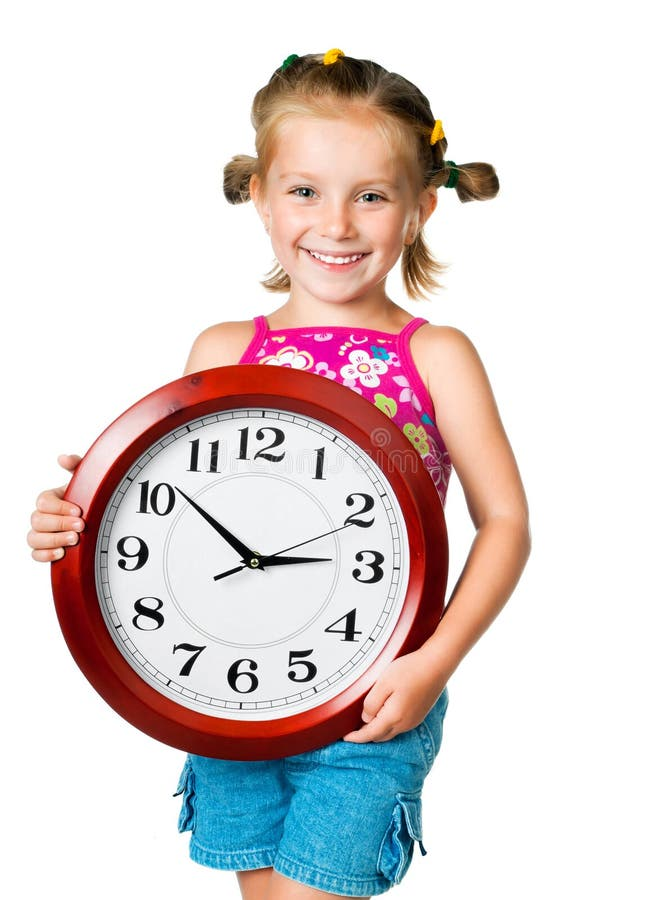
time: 2:51
